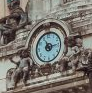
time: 11:13
